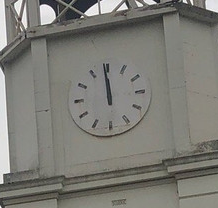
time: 11:59
